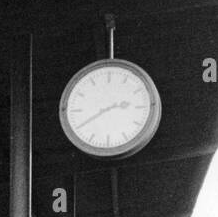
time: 2:40
